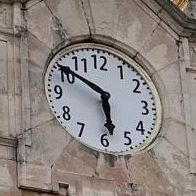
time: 5:50
